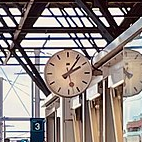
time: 2:06
